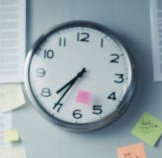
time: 7:35
